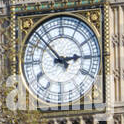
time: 2:52
